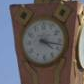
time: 4:17
